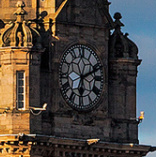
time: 6:11
